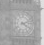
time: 4:12
